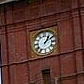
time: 1:09
